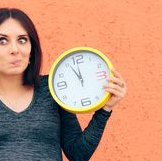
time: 11:55
